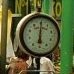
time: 6:00
